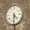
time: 4:31
